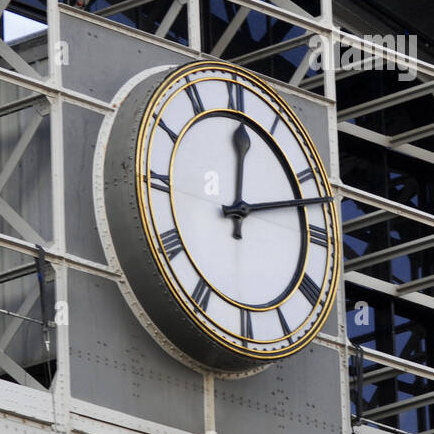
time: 12:12
